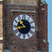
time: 10:42
